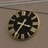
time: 3:35
